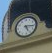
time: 5:16
